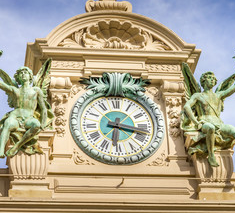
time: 6:17
